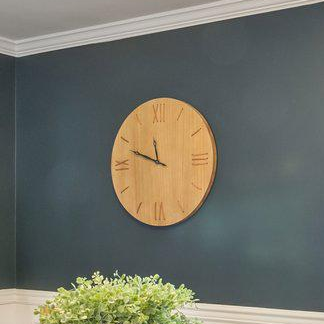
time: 11:48
